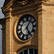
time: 5:05
